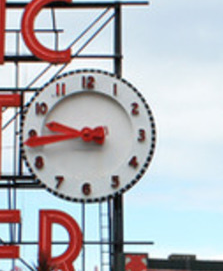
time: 9:43
